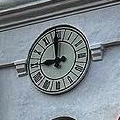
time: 8:59
